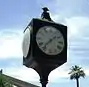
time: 1:37
